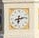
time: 6:13
